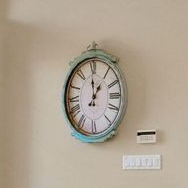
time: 12:59
